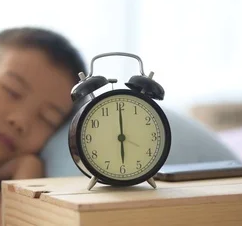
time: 6:00
